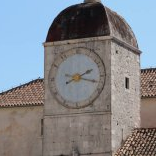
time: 2:17
